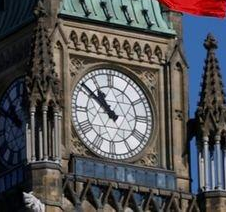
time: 10:51
